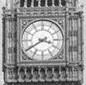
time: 3:39
